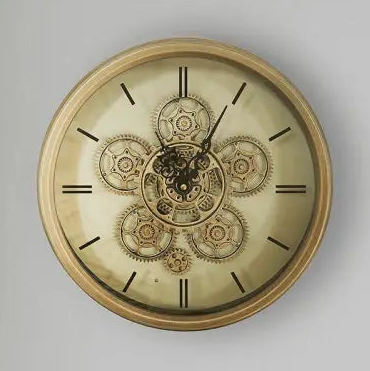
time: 11:04
